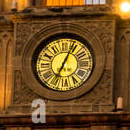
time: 7:04
